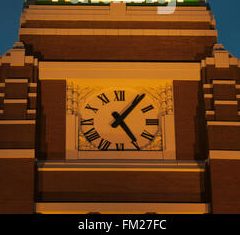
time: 5:06
